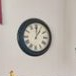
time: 1:00
